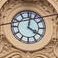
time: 4:01
